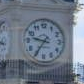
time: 9:35
